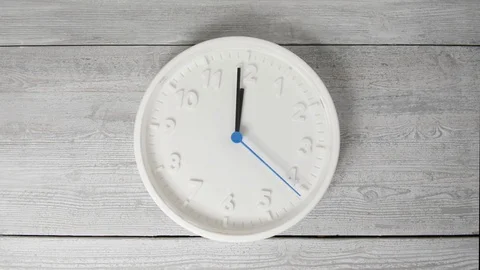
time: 11:59
